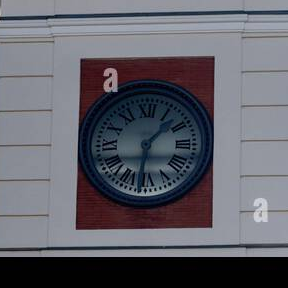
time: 1:31
